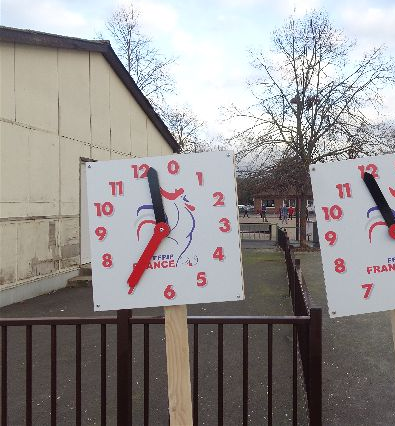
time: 11:35
